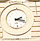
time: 2:18
